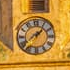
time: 1:39
